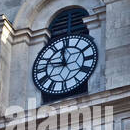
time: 11:46
